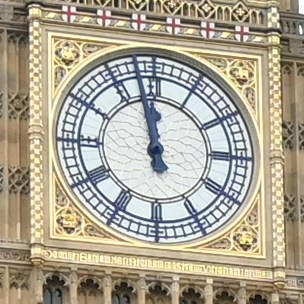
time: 11:57
